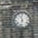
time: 11:32
